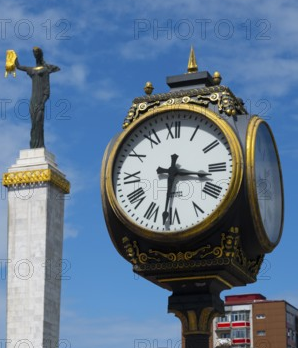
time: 3:31
